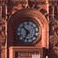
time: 6:52
